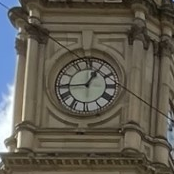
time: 12:44
